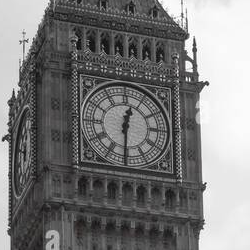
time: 12:30
